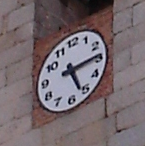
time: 5:14
